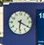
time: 6:20
